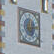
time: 12:13
